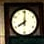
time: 8:01
